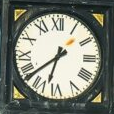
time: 6:38
